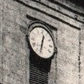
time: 12:32
